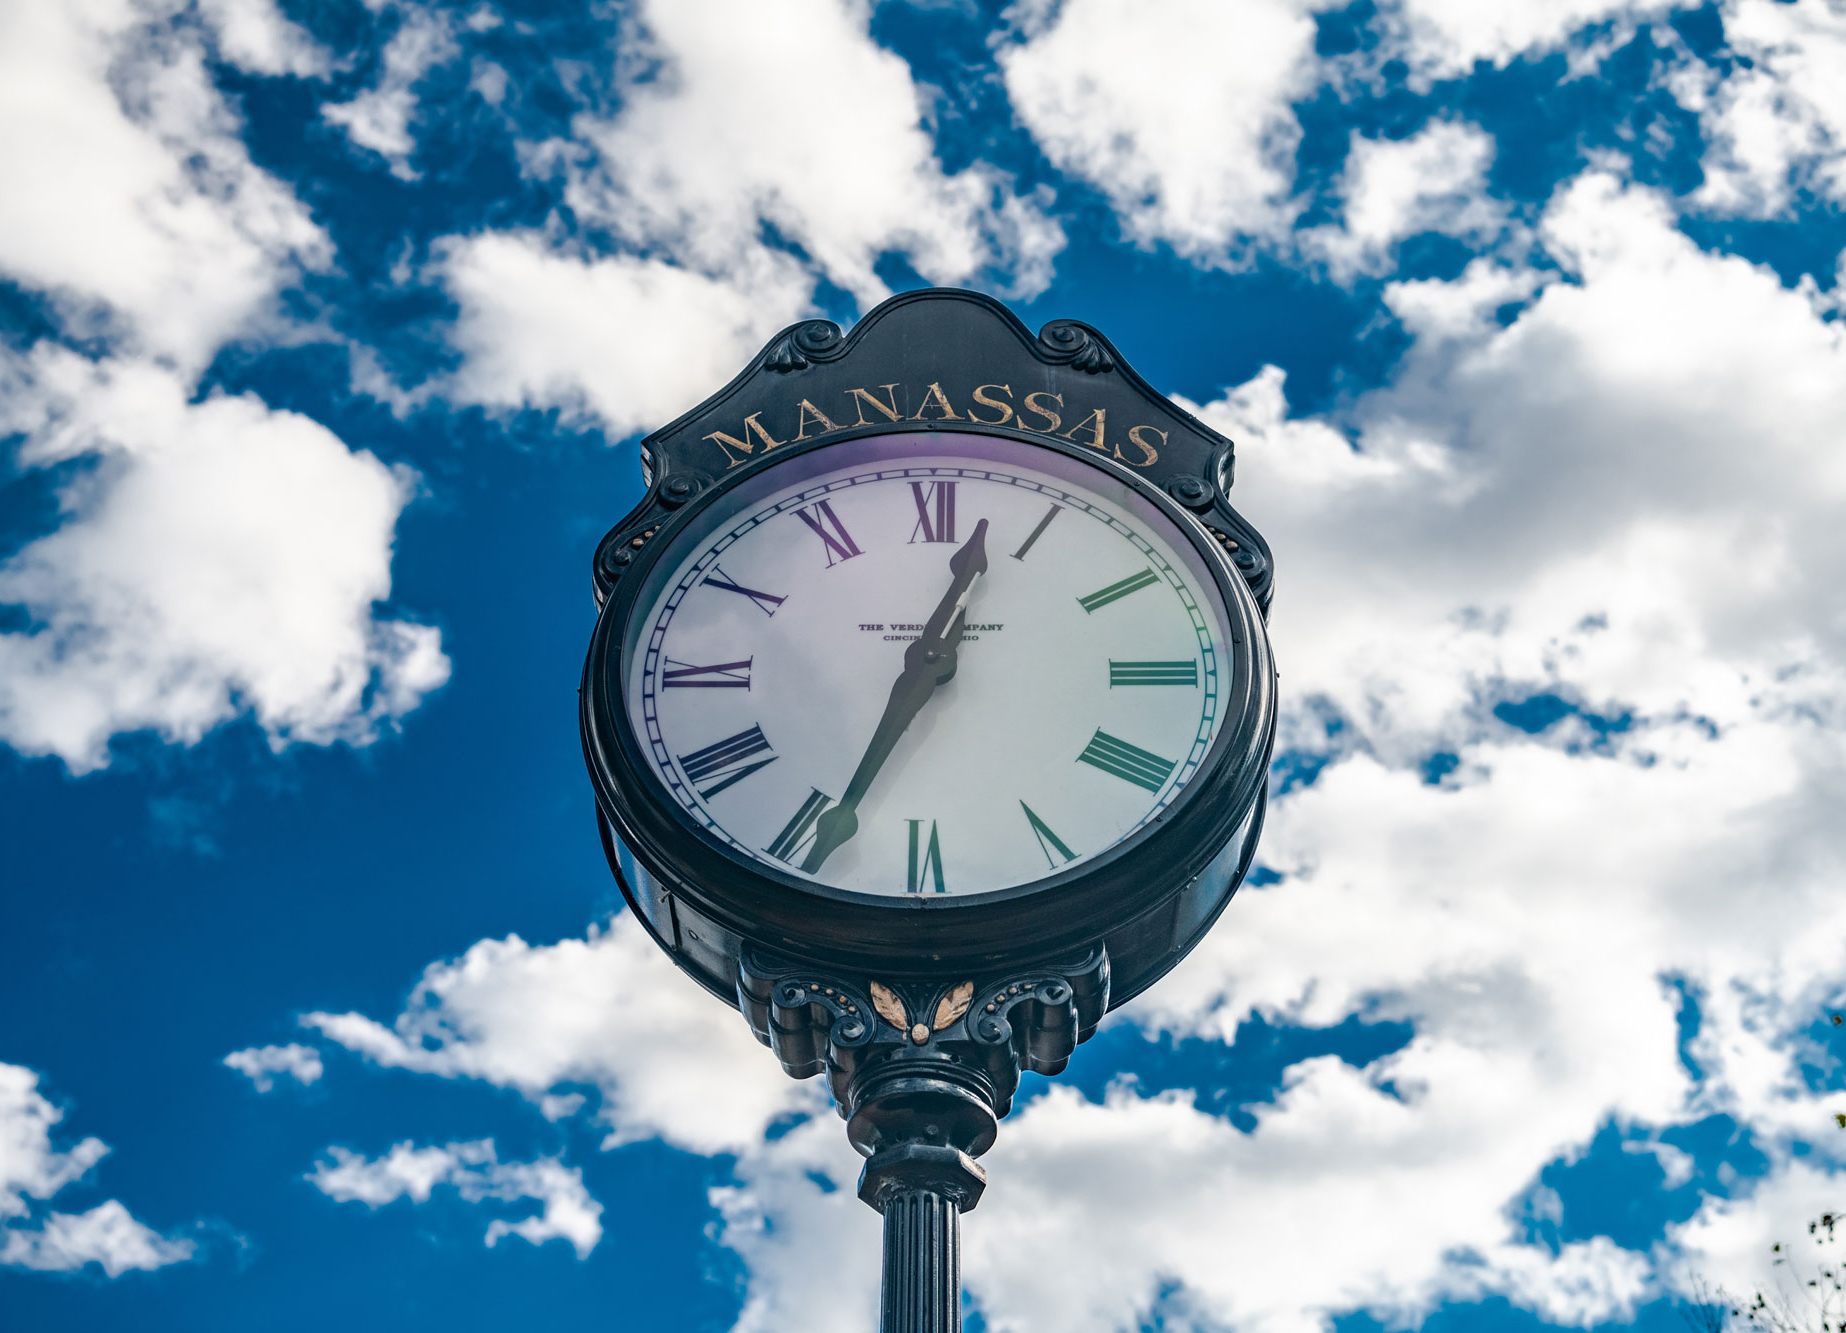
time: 12:33
